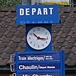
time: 10:16
